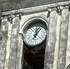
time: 12:06
